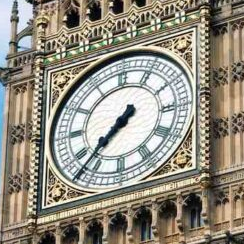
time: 7:37
